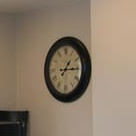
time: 1:14
